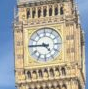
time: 4:45
